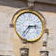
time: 2:36
